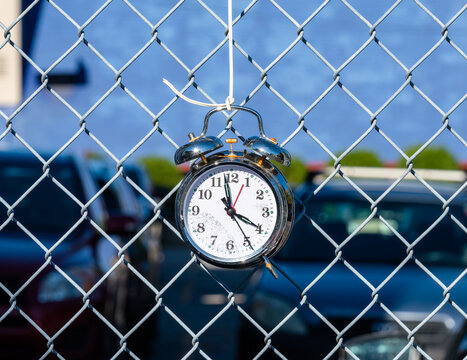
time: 3:58
